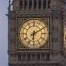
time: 6:10
